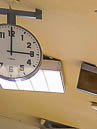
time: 2:59
